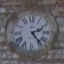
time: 2:23
